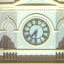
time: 7:30
